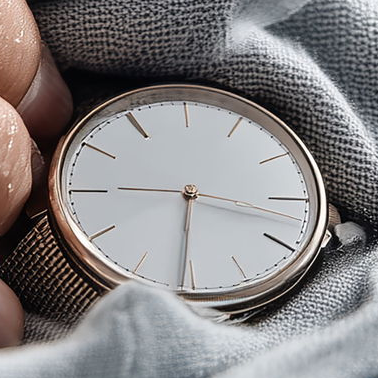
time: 3:30
